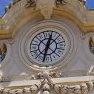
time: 12:32
